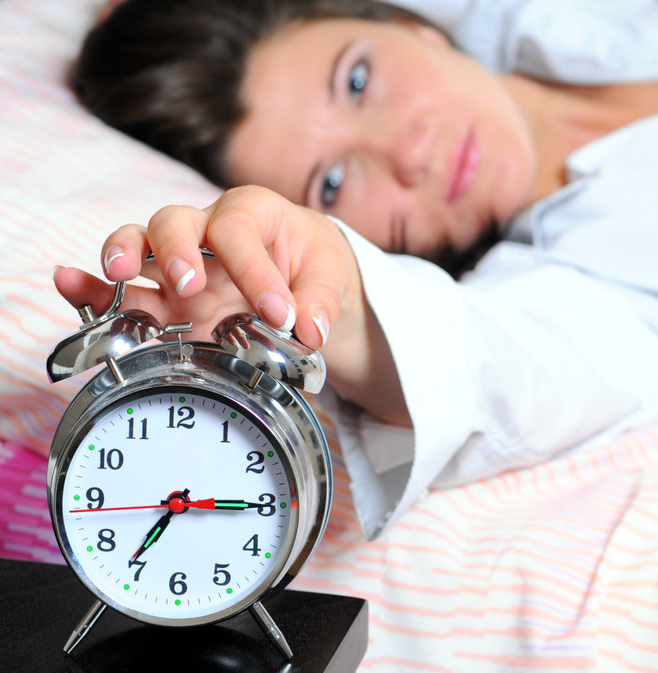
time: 7:15
